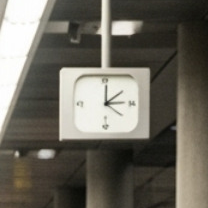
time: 2:00
